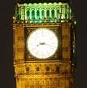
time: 8:17
